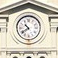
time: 10:39
